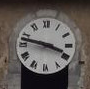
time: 3:47
